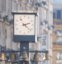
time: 2:21
